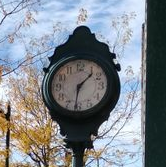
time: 1:32
